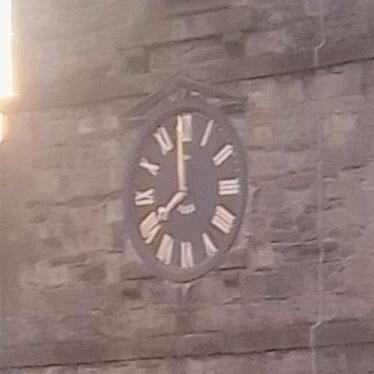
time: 7:59
